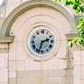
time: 2:33
